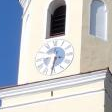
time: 6:32
